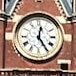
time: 12:24
